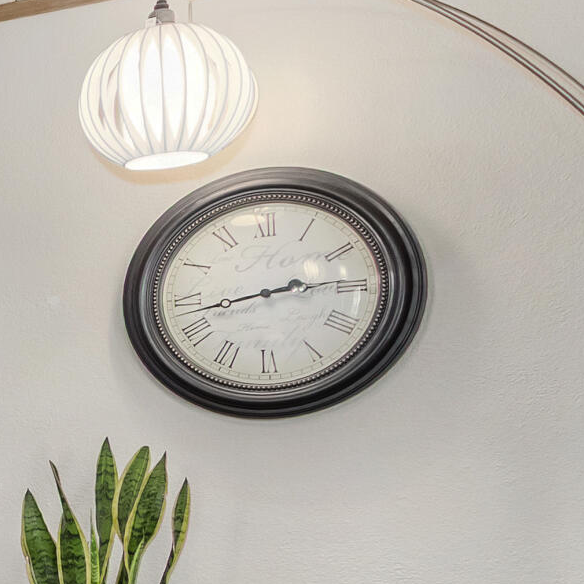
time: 2:42
